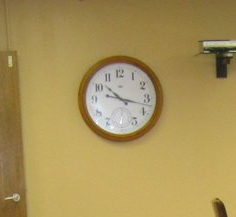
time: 10:17
